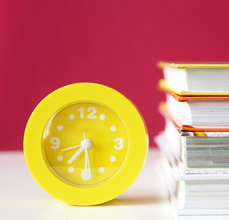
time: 7:29
